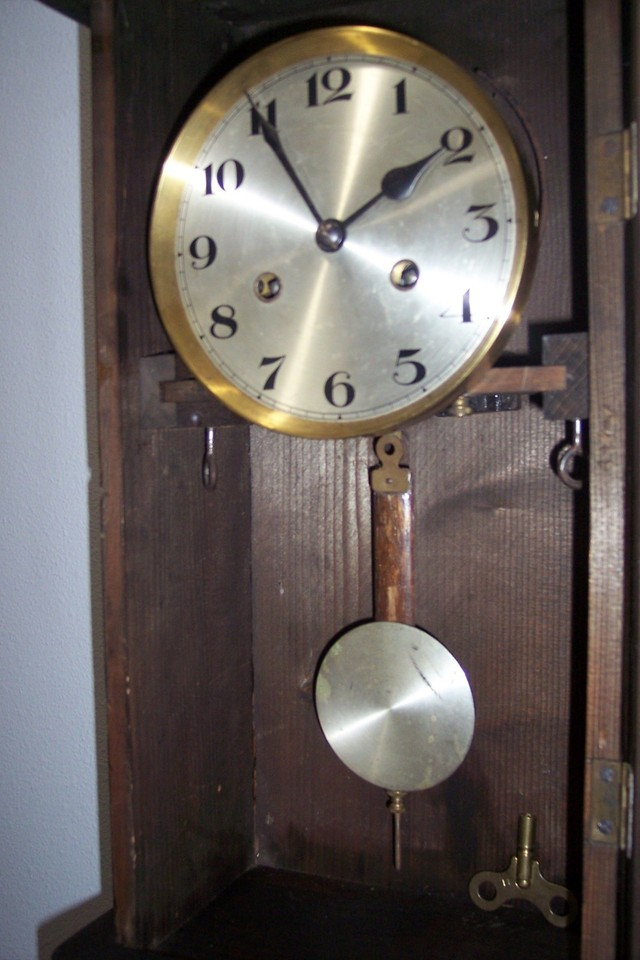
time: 1:54
